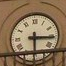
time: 3:29
